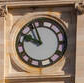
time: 9:56
